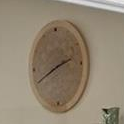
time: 2:41
